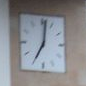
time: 7:01
